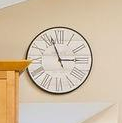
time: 2:56
